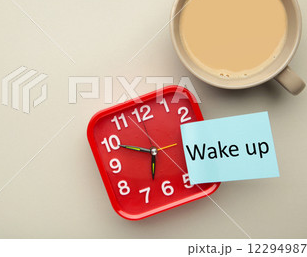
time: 6:49
